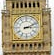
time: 3:11
